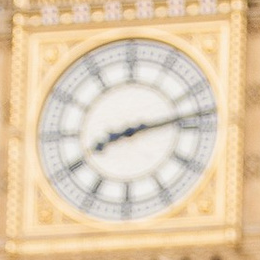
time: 8:13
